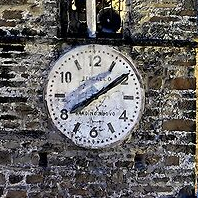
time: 8:09
